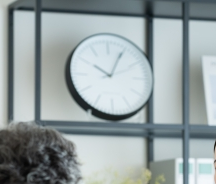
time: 10:04
